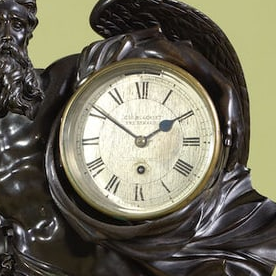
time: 1:51
